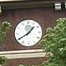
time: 1:39
